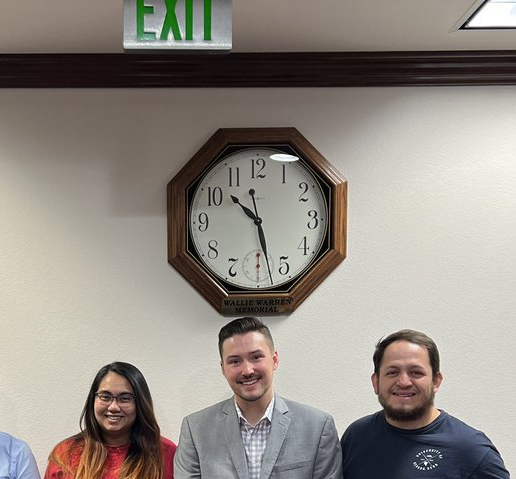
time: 10:27
